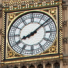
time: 8:08
